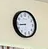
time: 8:43
